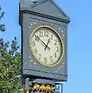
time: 12:51
